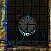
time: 6:14
